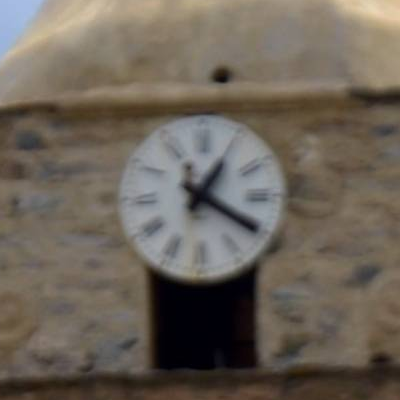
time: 1:20
